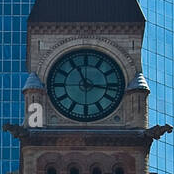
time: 11:16
